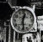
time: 12:28
